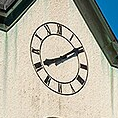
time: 8:09
